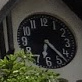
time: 6:22
